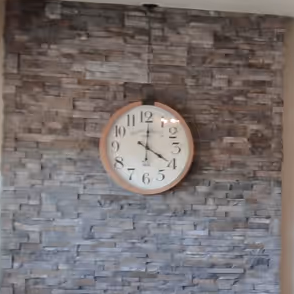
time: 4:01
